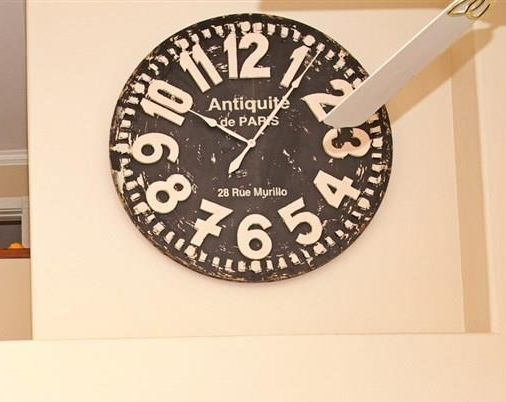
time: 10:05
